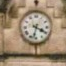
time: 3:32
